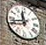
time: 11:42
